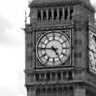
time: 4:45
